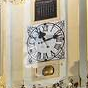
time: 11:12
